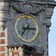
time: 7:15
